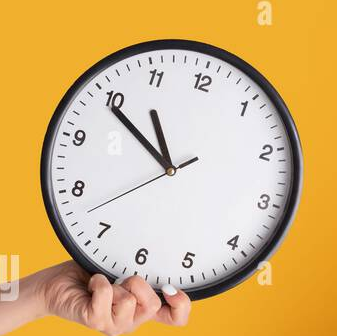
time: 10:49
